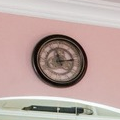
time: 11:13
